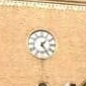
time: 1:24
